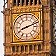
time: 8:11
